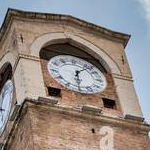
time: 6:07
